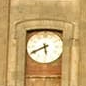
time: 5:40
